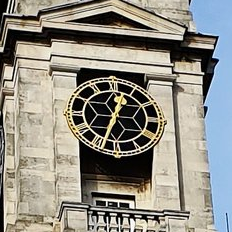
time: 12:33
